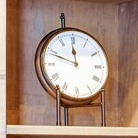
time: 11:48
